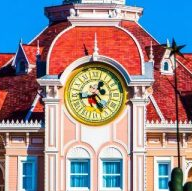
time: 12:42
